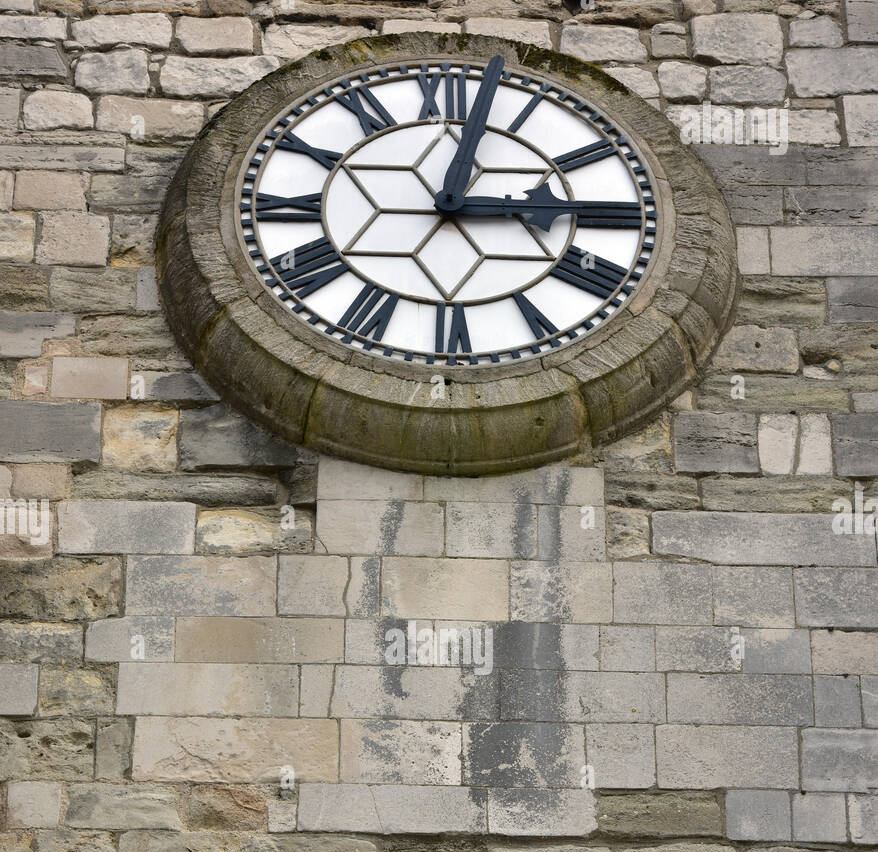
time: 3:02
